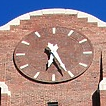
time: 6:26
